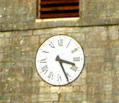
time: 3:26
